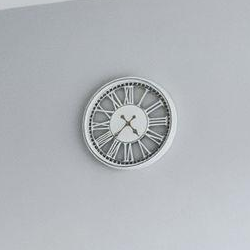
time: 4:37
